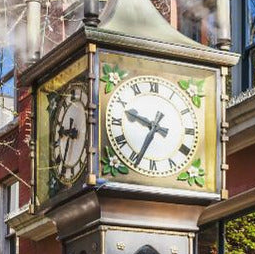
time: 9:34
